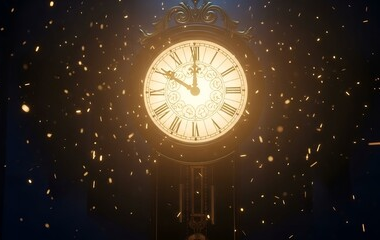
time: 10:00
